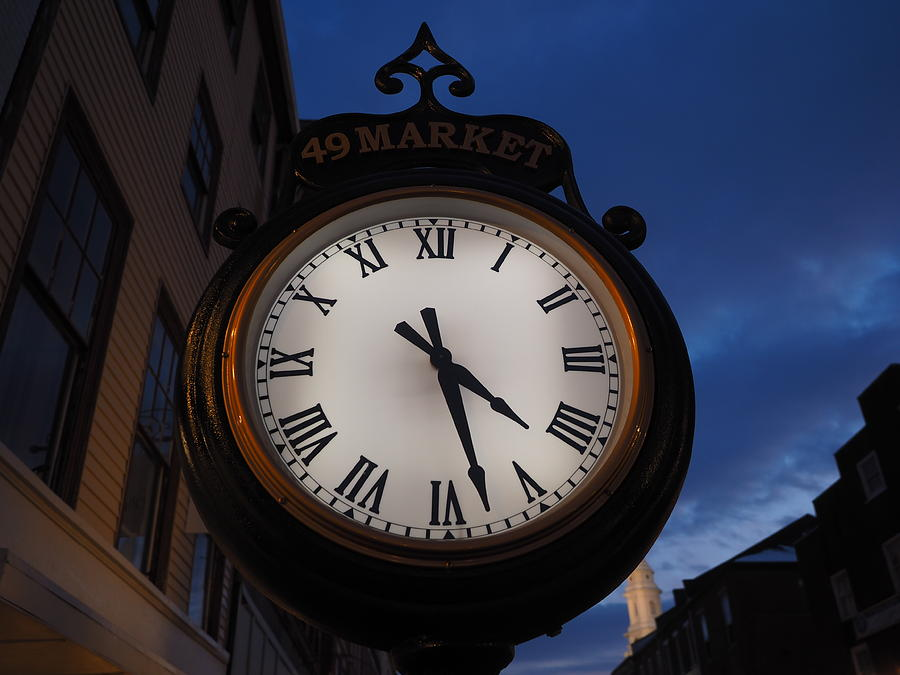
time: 4:27
